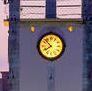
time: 7:52
